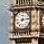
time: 12:13
